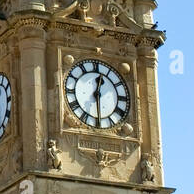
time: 12:29
